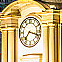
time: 7:17
